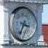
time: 3:34
